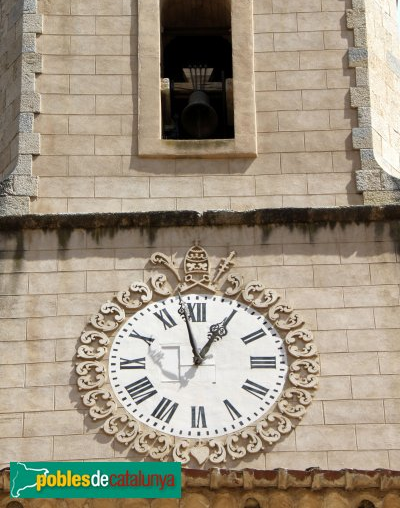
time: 12:58
